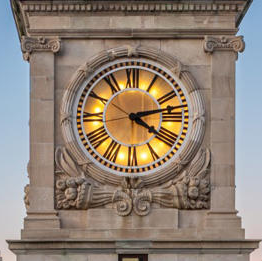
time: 4:12
